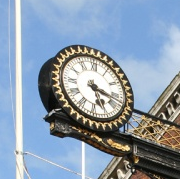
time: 5:17
